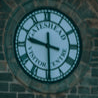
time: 9:29
